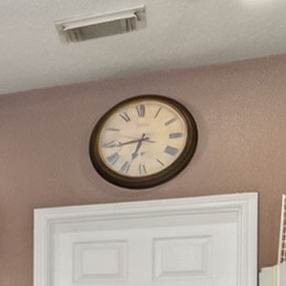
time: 6:43
